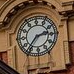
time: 2:36
